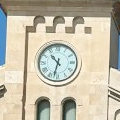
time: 10:32
